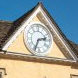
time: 2:34
